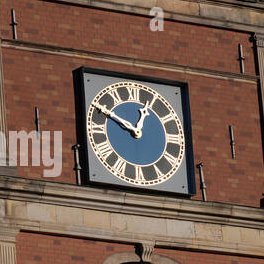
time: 12:49
